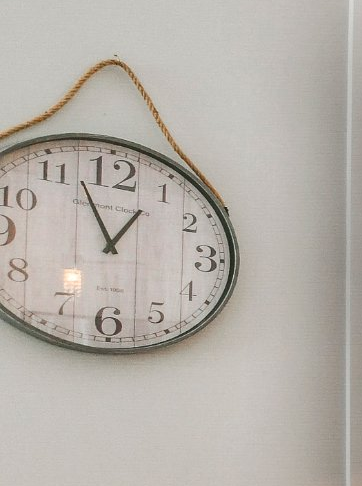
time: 12:56
